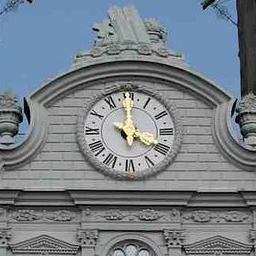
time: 3:58
